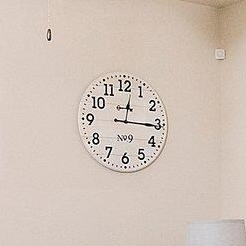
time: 12:15
